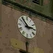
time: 2:52
